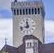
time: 11:42
